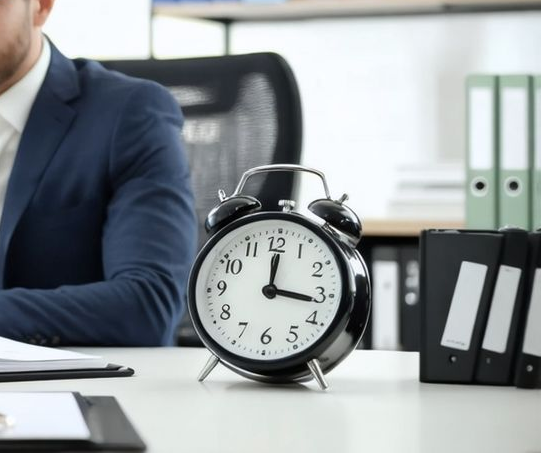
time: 12:16
